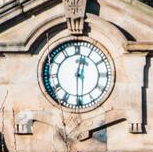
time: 12:30
